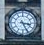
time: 3:25
